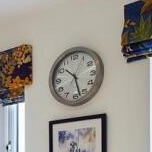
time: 10:28
